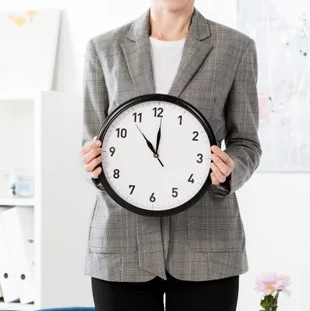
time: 11:00
